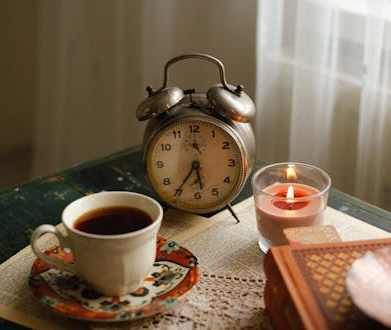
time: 5:35
